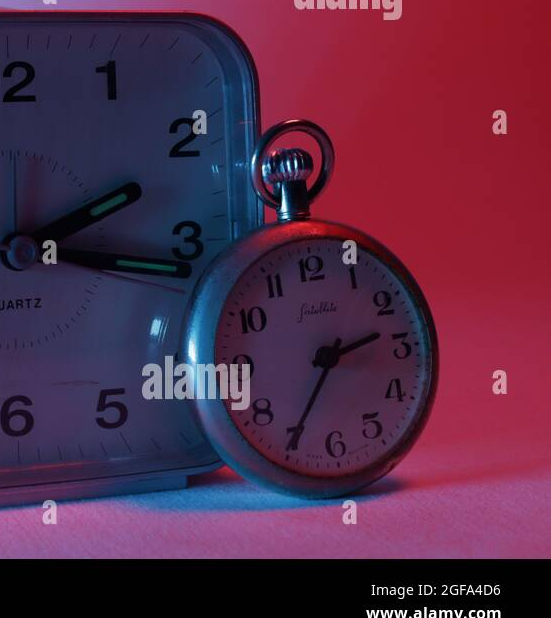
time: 2:35
